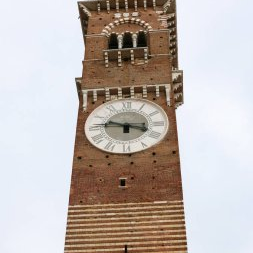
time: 3:46
